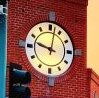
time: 9:47
